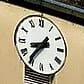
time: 8:36
